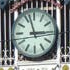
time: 2:57
